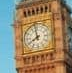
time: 7:58
